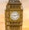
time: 9:12
